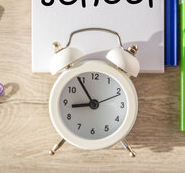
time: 8:54
